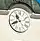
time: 10:41
